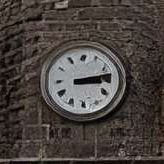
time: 3:13
